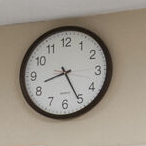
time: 8:25
